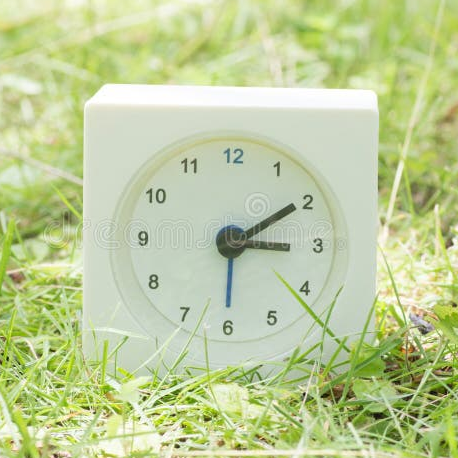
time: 3:09
